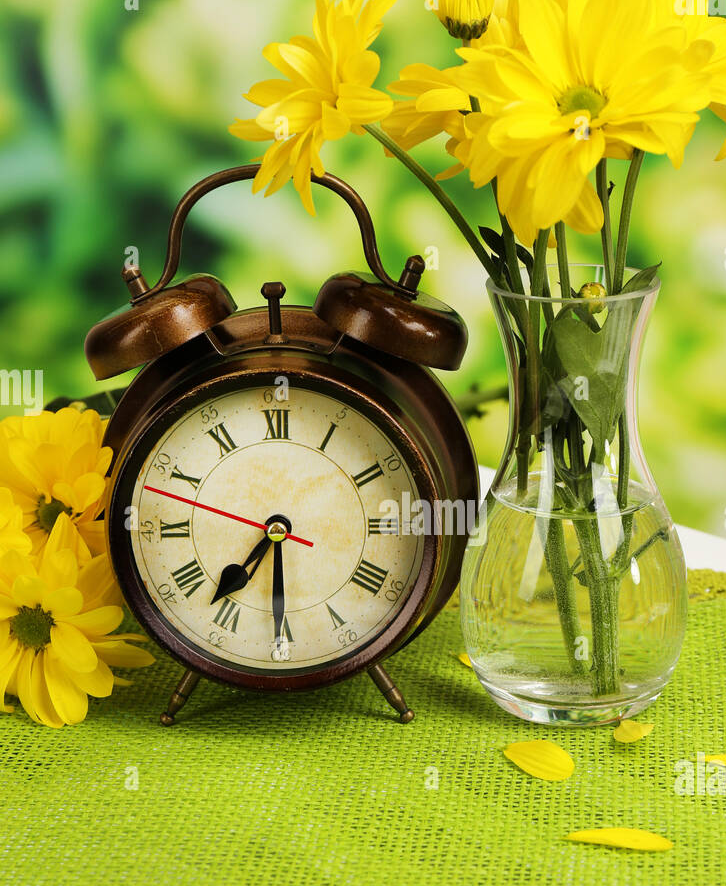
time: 7:30
